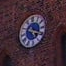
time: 5:18
